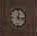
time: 12:16
